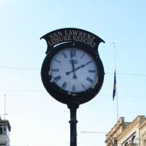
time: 1:59
